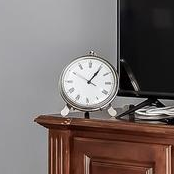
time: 1:05
